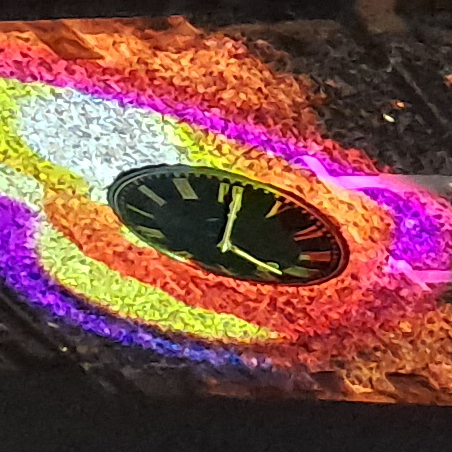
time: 4:01
